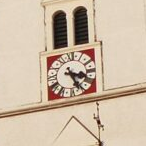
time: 3:24
